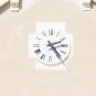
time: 2:23
